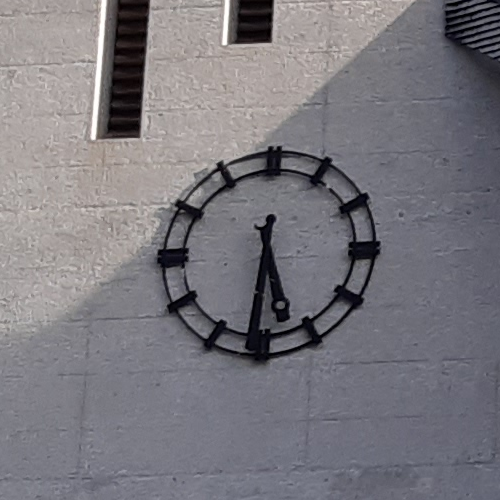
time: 5:31
